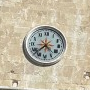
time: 4:37
